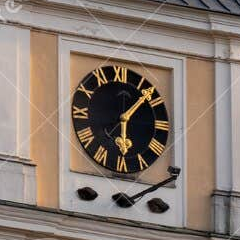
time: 6:07
